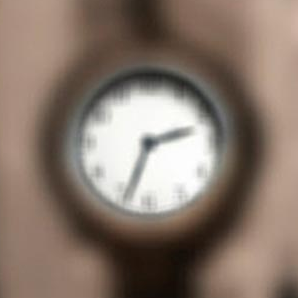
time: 2:33
